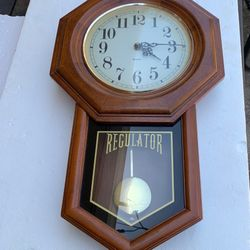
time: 4:14
